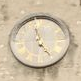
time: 4:57
